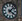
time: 4:07
